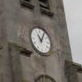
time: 11:05
